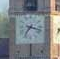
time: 7:17
